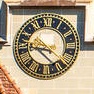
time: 9:22
